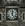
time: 12:24
